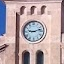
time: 9:12
